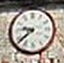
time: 9:38
